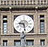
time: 9:28
